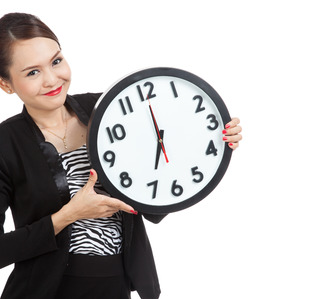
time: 6:59
